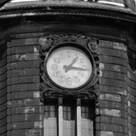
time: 1:16
